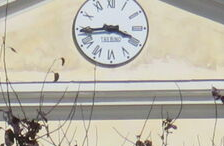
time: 3:44
